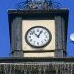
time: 12:52
